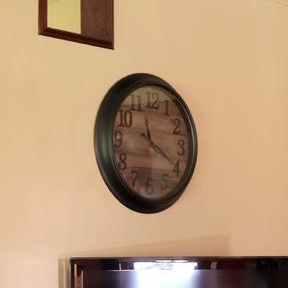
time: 11:20
